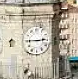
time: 2:45
